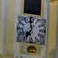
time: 6:59
